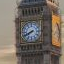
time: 7:40
